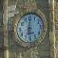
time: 6:00
